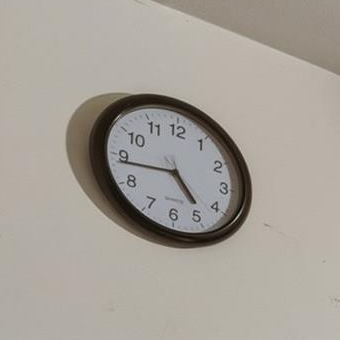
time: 4:43
